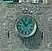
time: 11:07
